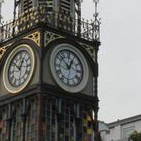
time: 12:52
